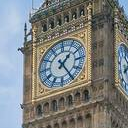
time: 1:24
